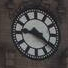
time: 9:20
